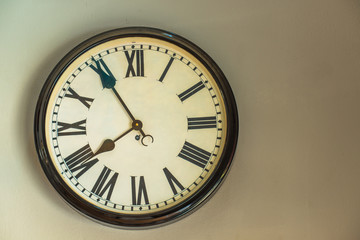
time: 7:54
